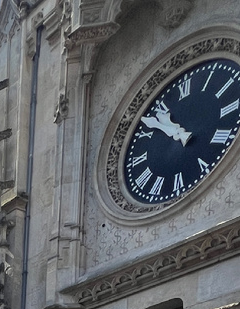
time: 10:51
